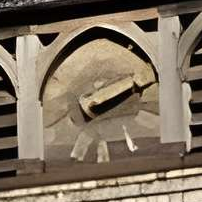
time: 2:11
